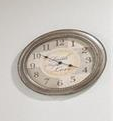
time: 3:50
